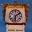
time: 6:10
